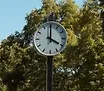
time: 4:00
